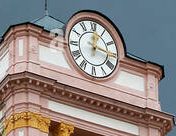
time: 12:16
